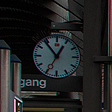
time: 12:53
